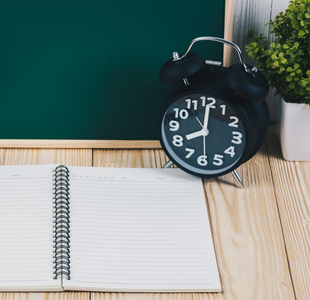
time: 8:00
